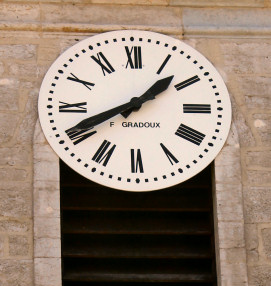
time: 1:40
